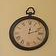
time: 12:11
